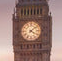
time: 4:08
